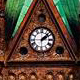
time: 2:07
